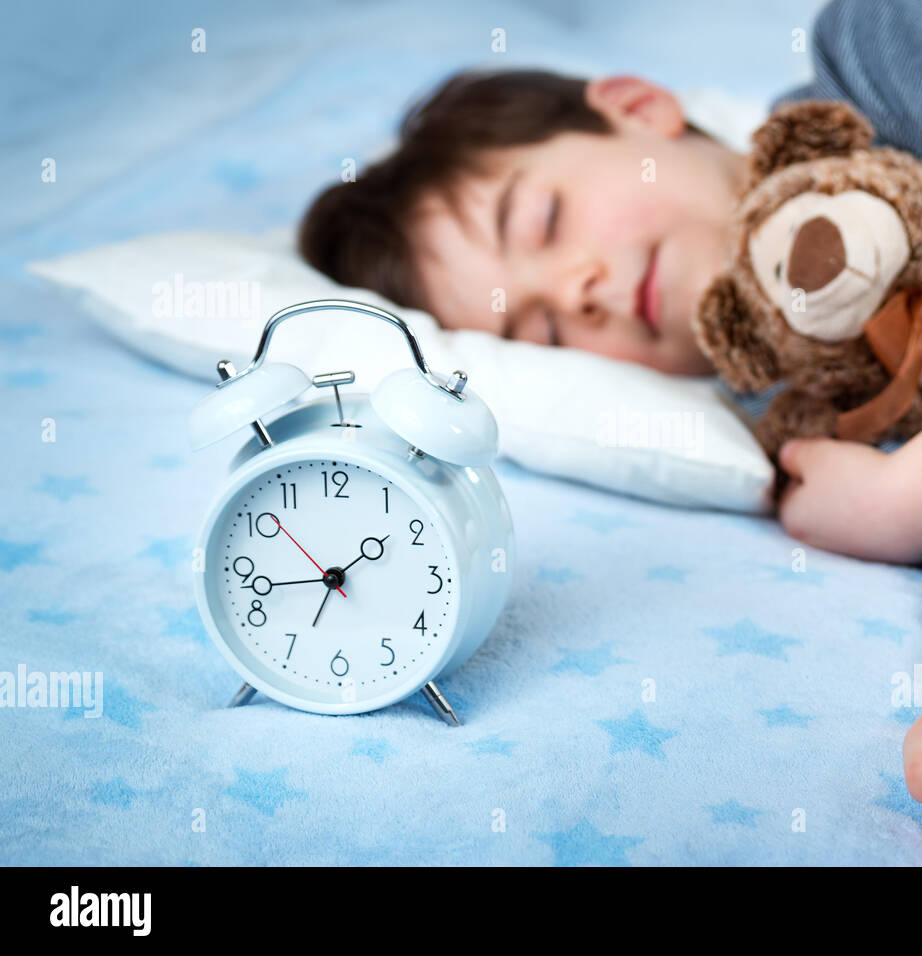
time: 1:43
